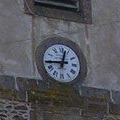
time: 12:44
